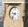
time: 9:36
